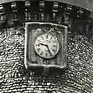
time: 9:25
